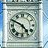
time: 4:49
